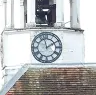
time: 1:57
